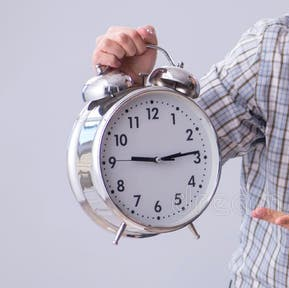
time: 9:14
